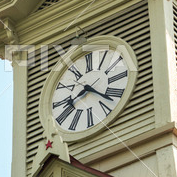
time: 8:21
